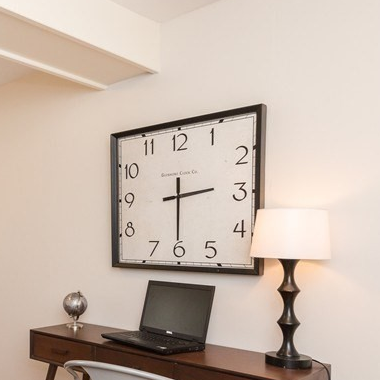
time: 2:30
